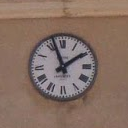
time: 1:56
